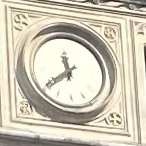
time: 11:39
